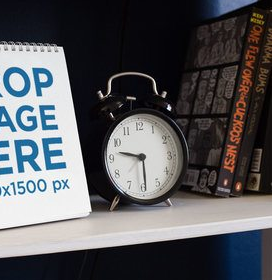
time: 9:29
